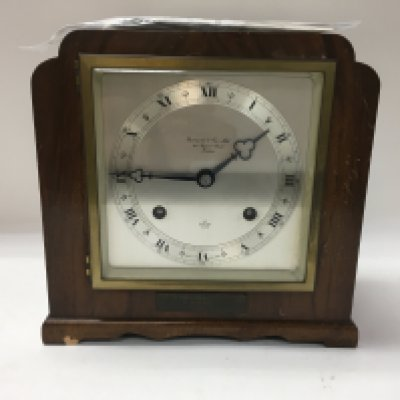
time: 1:45
